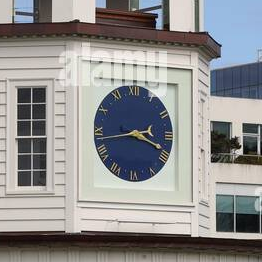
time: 3:43
